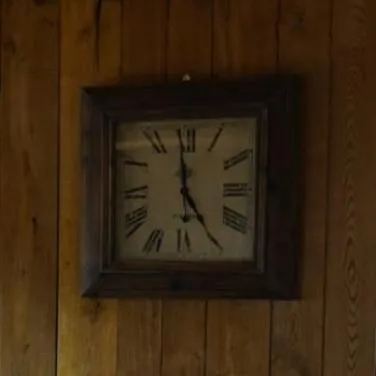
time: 4:59
